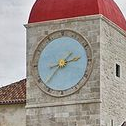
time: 2:37
